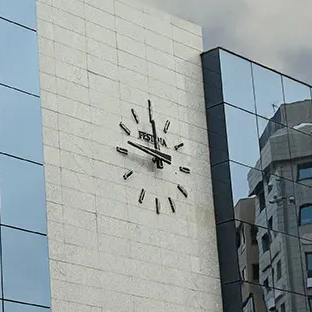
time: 11:47
